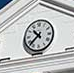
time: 10:37
